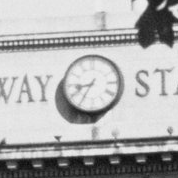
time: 8:35
